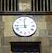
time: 11:45
